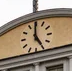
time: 4:59
